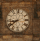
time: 8:39
